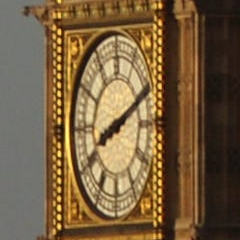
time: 8:11
